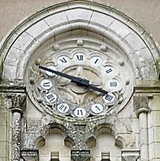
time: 3:48
